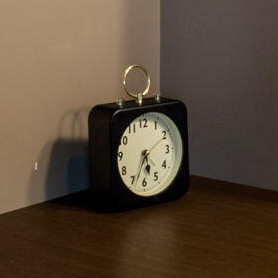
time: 5:33
